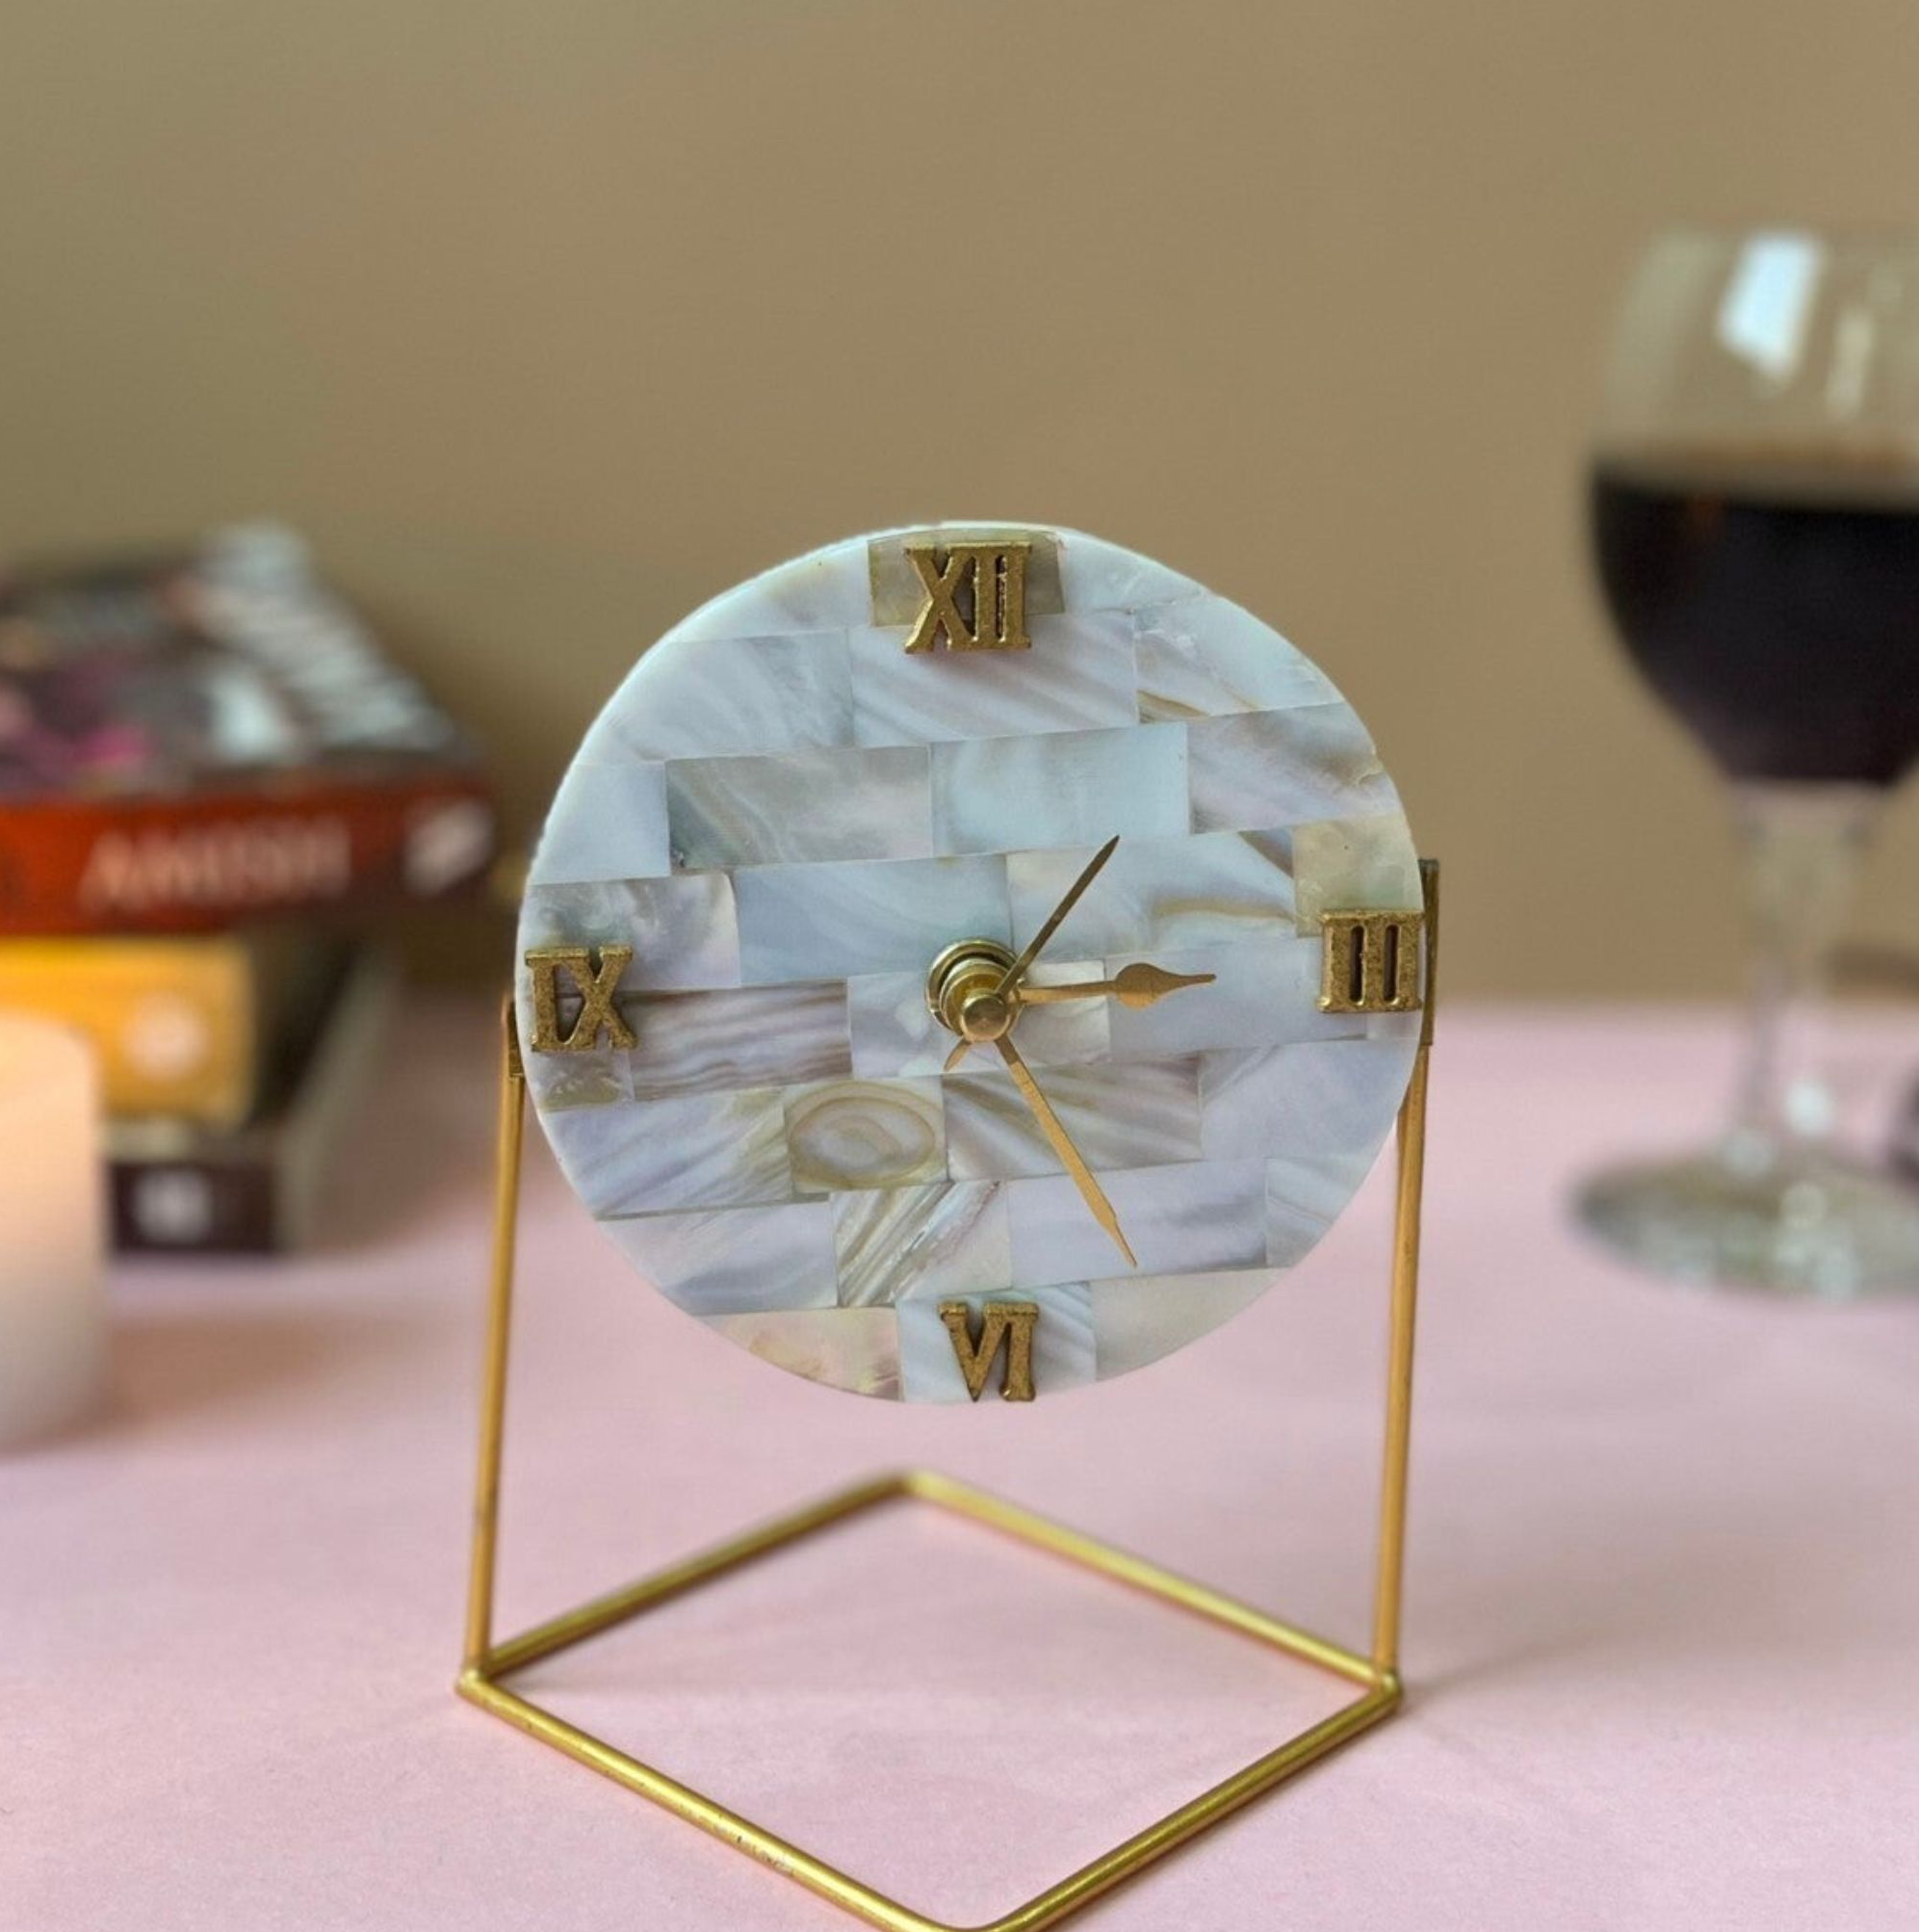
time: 1:13
